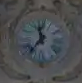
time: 11:36
